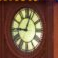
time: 9:03
